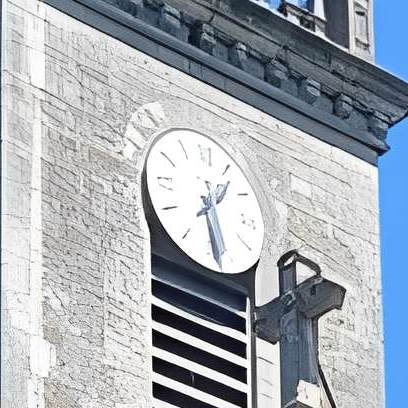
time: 1:28
